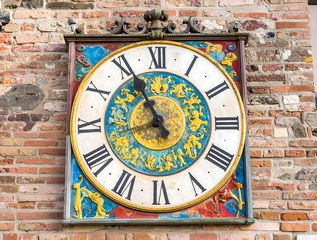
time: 10:55
